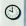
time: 9:59
